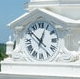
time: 12:52
